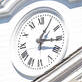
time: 3:05
